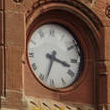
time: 3:33
